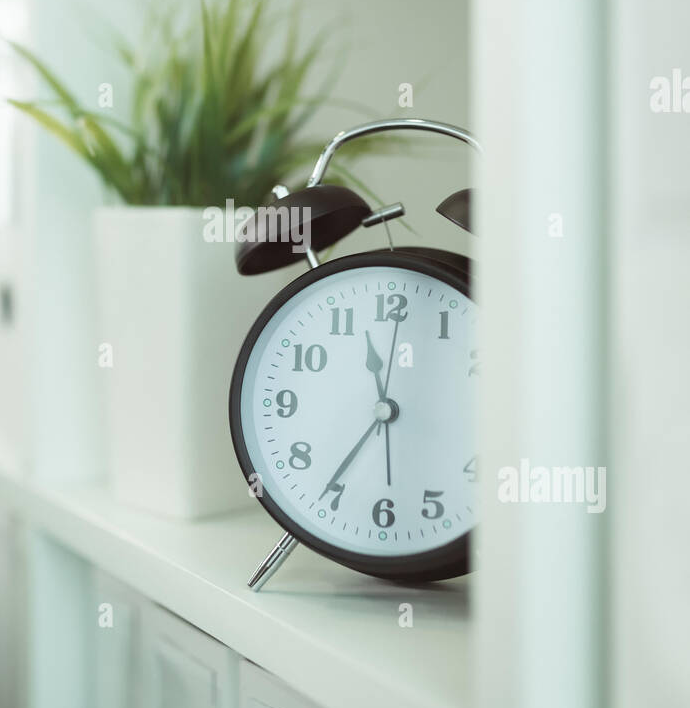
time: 11:35
